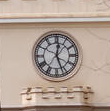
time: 12:26
